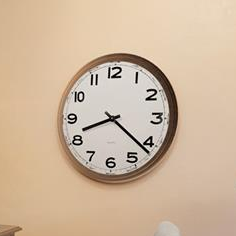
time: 8:21
